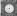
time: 8:32
